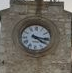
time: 4:16
